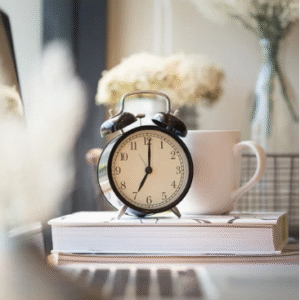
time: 7:00
